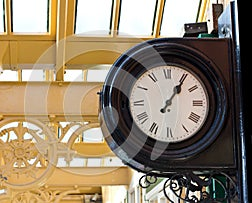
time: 1:05
